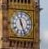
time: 11:26
